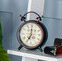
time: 7:00
